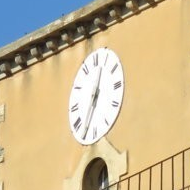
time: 12:34
